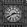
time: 2:40
